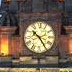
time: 10:24
